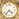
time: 4:36
